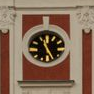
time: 11:24
